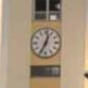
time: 12:34
